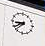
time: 8:38
